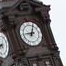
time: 9:01
